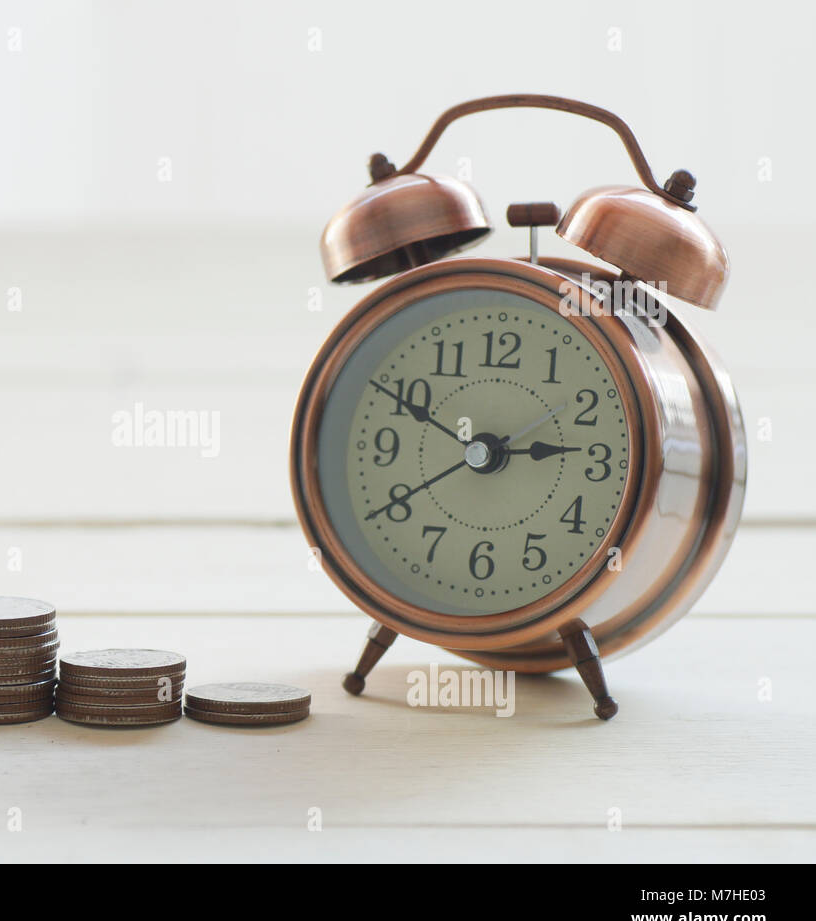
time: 2:49
